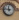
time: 11:46
